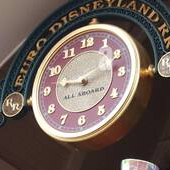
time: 9:11
